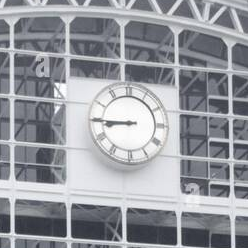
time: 8:45
